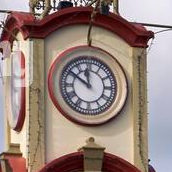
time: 11:50
